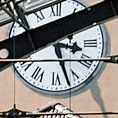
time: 3:27
